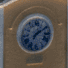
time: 7:10
